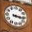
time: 3:16
